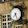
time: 7:25
